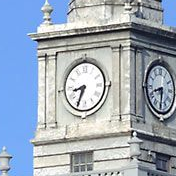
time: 8:34
